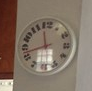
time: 11:42
